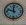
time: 11:48
